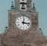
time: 12:16
